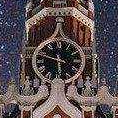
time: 5:48
